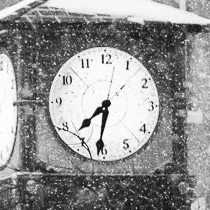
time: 7:31
